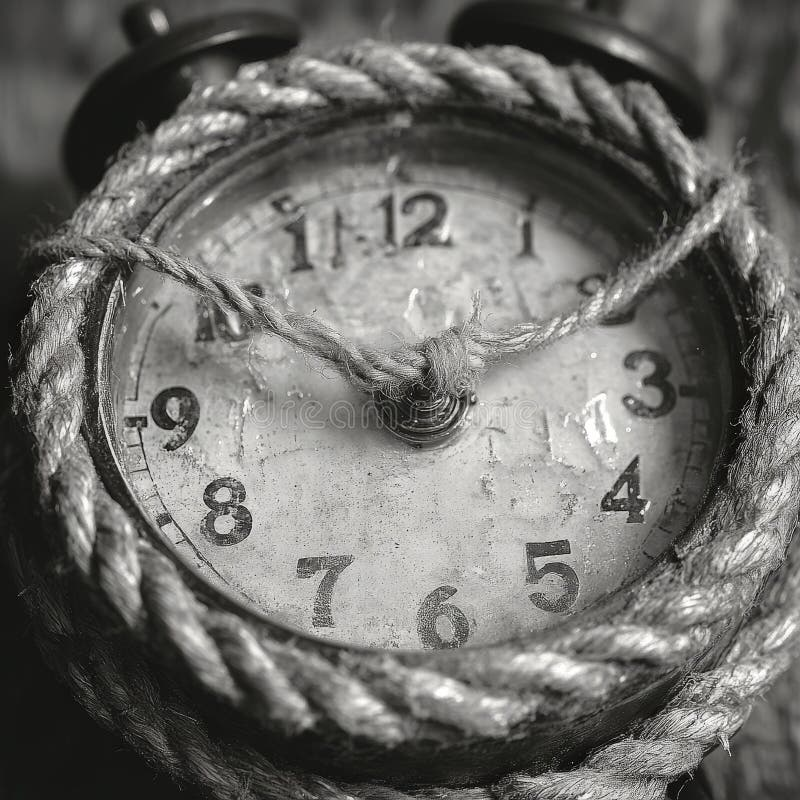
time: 1:50
